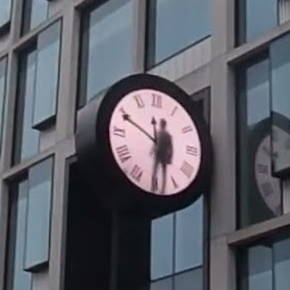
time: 5:31
